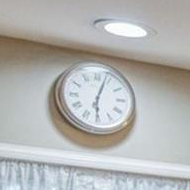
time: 6:03
